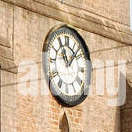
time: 11:07
